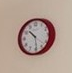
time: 10:29
